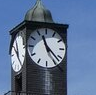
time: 11:22
